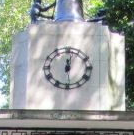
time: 12:02
